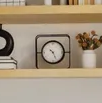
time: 10:25
